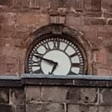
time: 6:47
